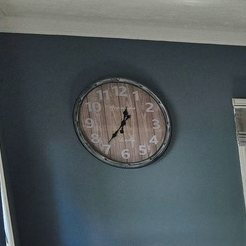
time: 12:36
